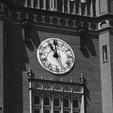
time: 10:59
